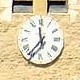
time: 11:36
